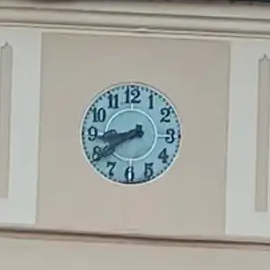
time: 8:39
